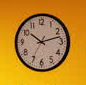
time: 10:12
